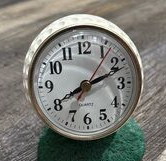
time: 8:11
